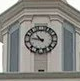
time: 10:47
